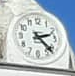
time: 2:22
